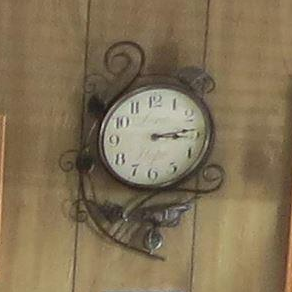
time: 3:14
